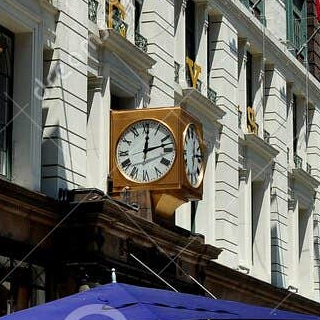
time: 12:12
